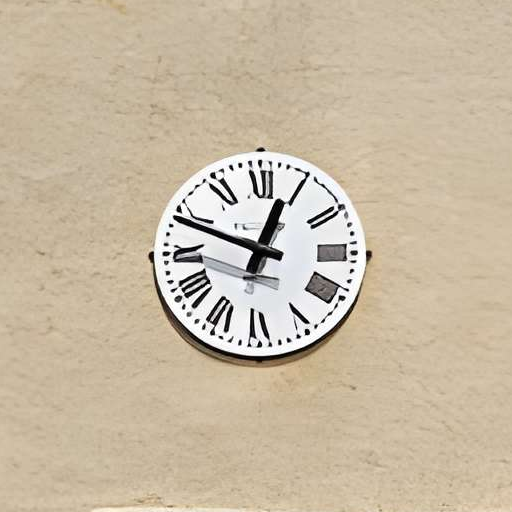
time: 12:48
